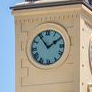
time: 1:54
